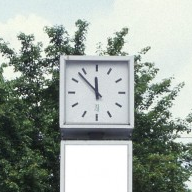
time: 11:52
